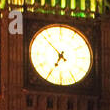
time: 6:52
